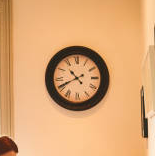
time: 10:40
